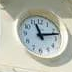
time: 11:13
